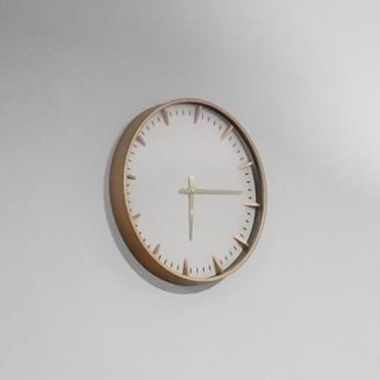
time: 6:13
